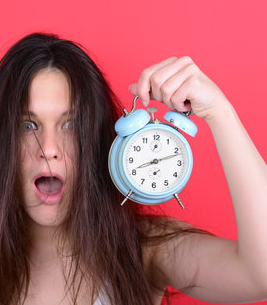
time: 8:11
